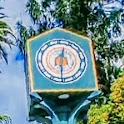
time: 12:30
